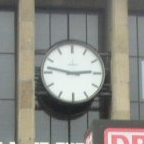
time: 2:46
